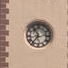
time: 10:36
